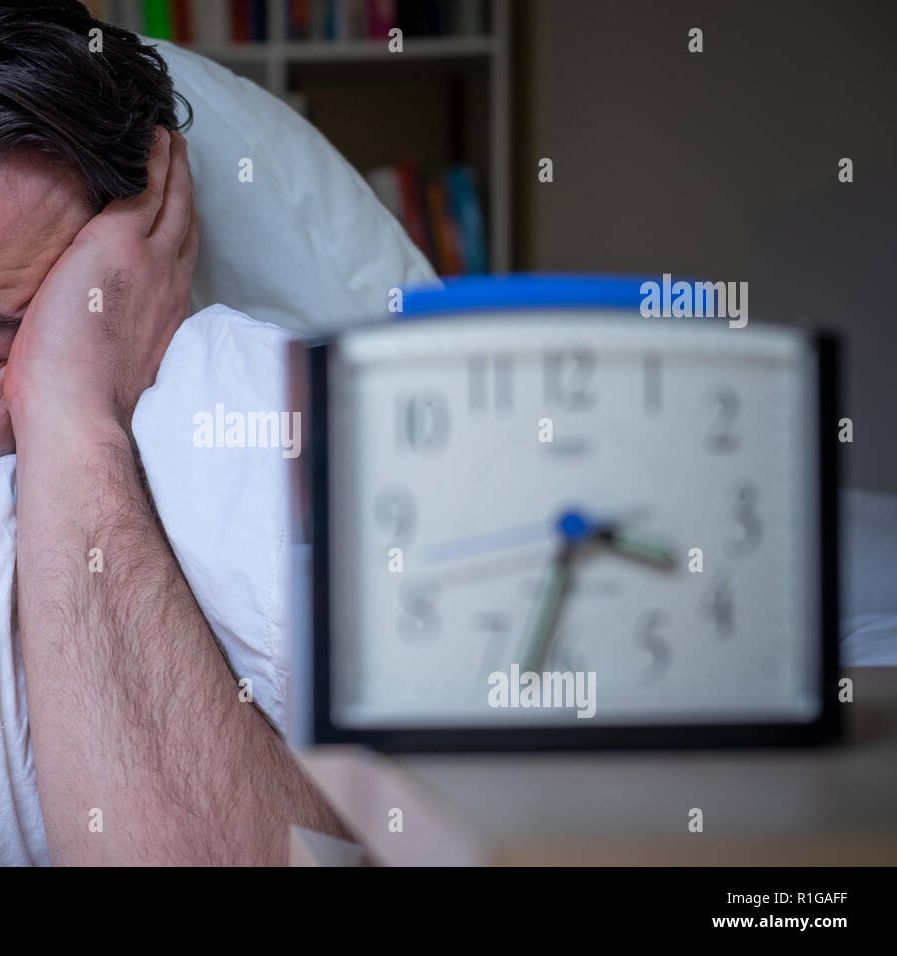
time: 3:33
